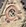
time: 12:52
